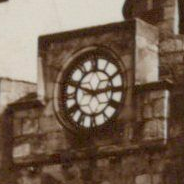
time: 2:48
